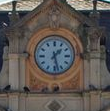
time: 1:27
